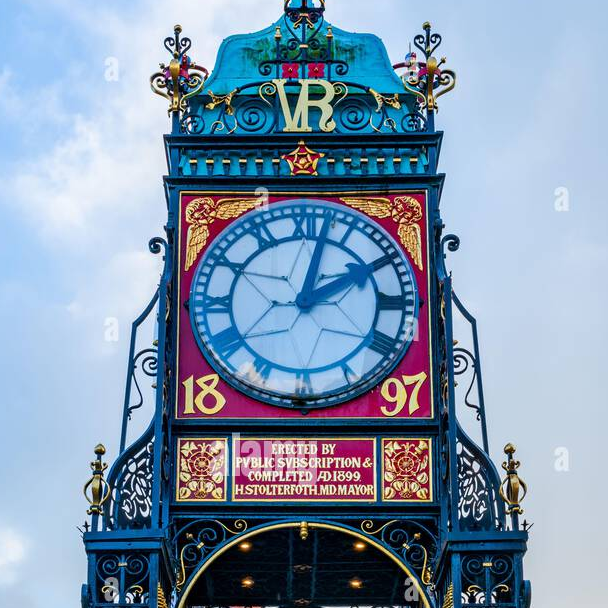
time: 2:02
